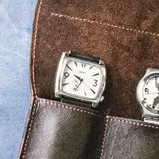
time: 9:34
